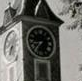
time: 8:36
